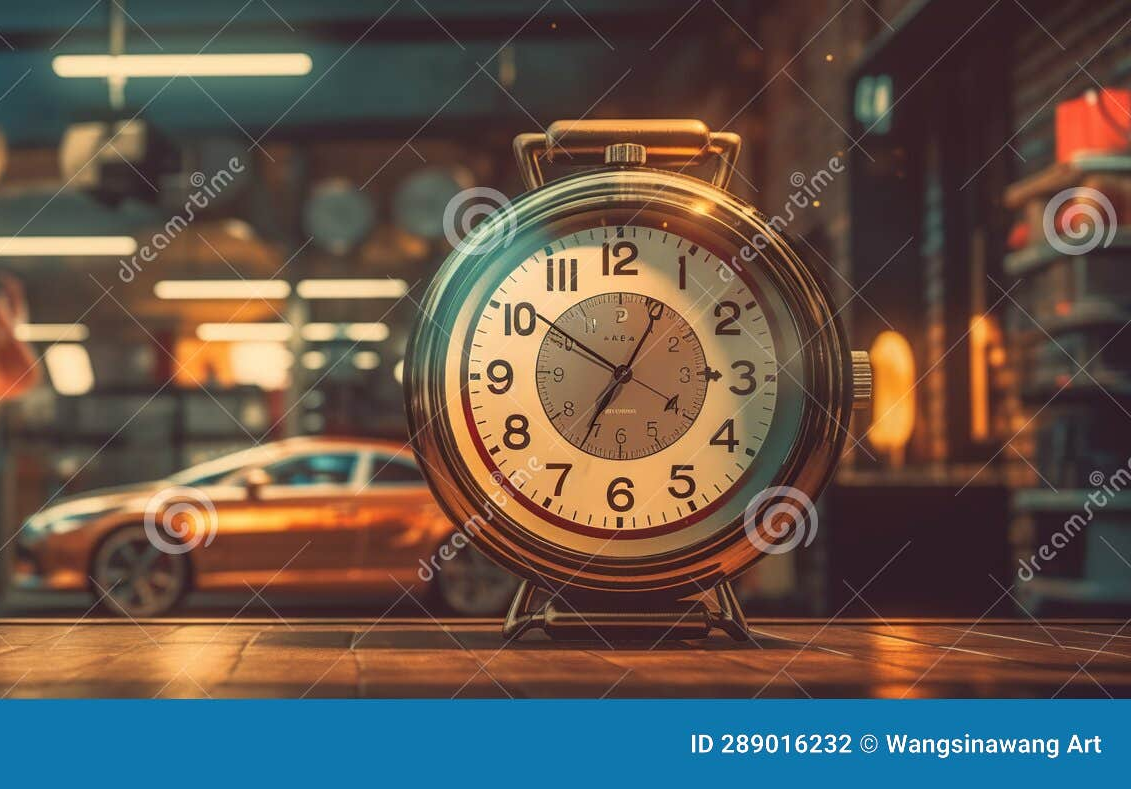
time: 6:50
